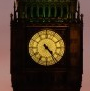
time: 4:23
